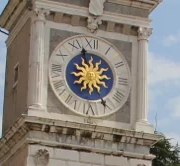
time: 11:25
